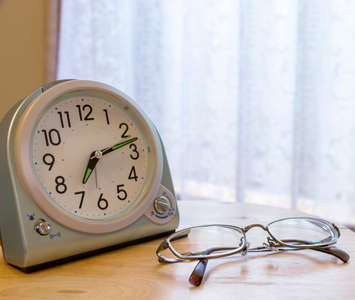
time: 7:12
